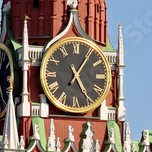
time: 5:05
